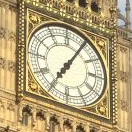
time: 7:05
